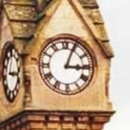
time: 3:04
